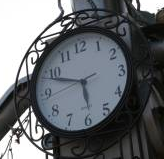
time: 5:48
